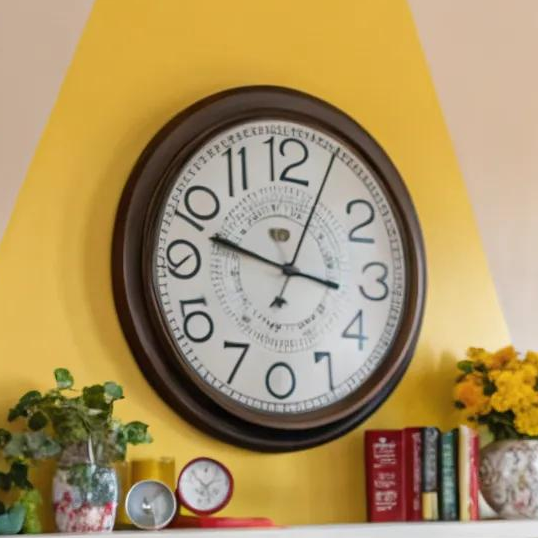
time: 12:48
